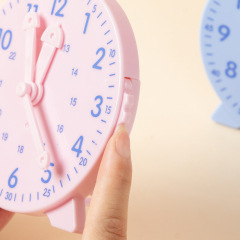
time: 12:23
